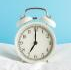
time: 7:00
